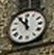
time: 11:54
